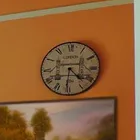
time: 4:31
